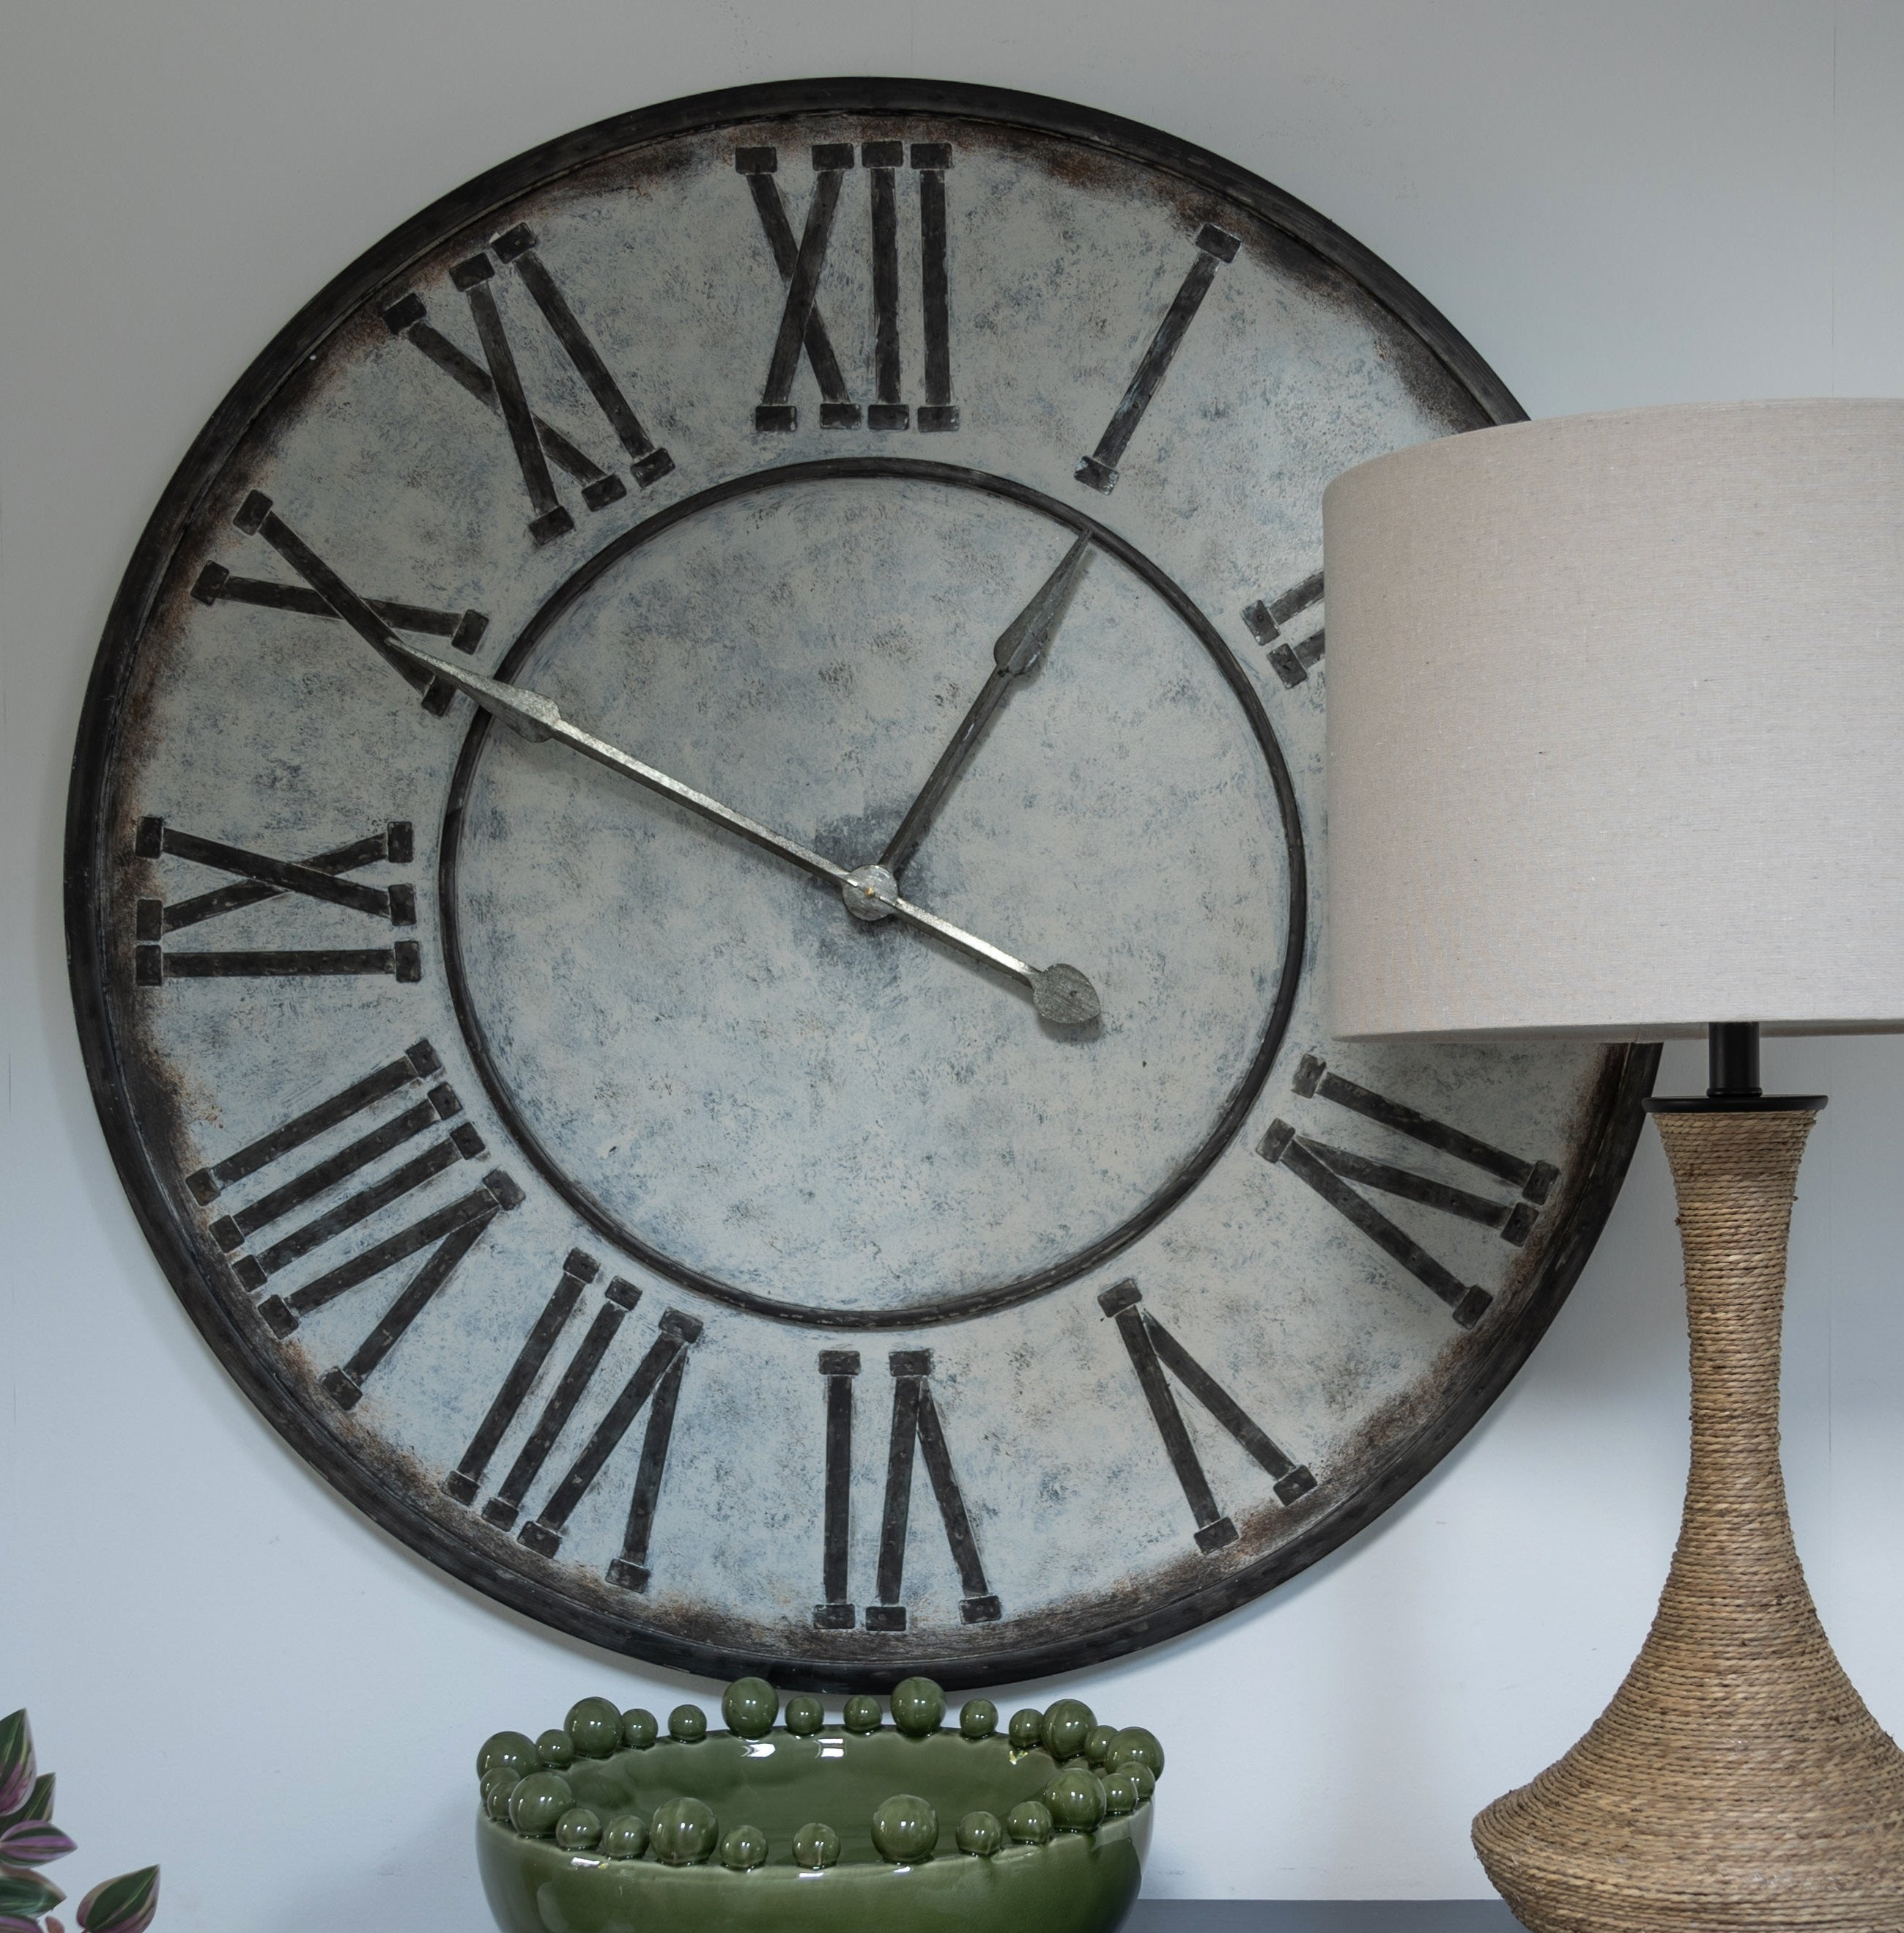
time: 12:49
